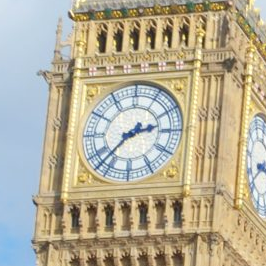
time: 2:37
